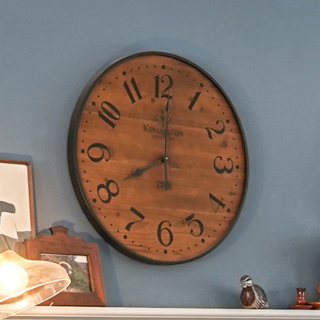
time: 8:00
